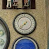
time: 7:37
